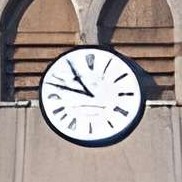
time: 10:48
